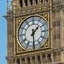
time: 1:29
